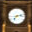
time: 7:12
